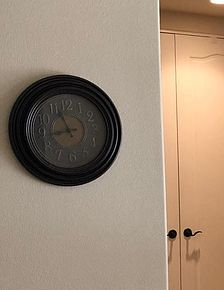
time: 8:56
